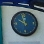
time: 9:57
